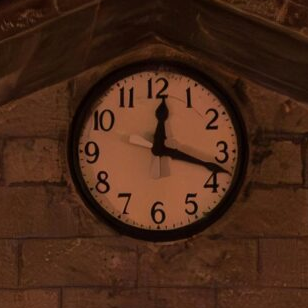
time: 12:18
